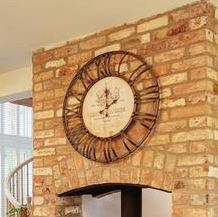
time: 2:01
